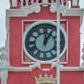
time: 12:05
